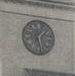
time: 1:28
